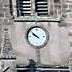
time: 9:51
